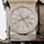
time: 2:23
